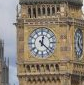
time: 12:22
